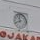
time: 11:41
